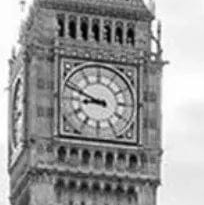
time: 8:48
